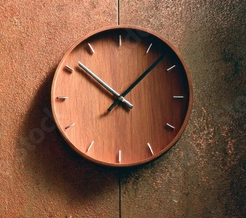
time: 10:07
